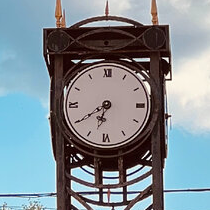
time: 6:39
